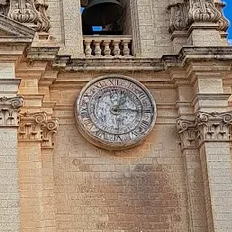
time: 1:15
